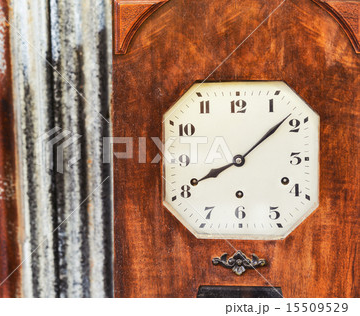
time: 8:08
